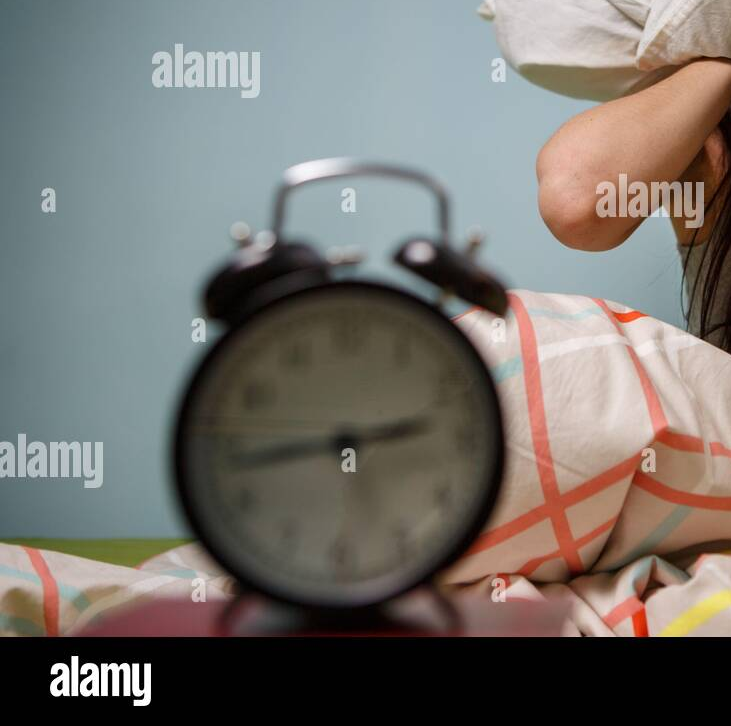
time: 2:43
